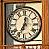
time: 7:01
